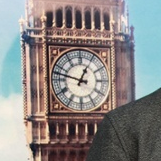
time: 12:47
